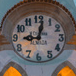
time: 9:01
